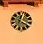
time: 12:19
